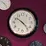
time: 10:23
